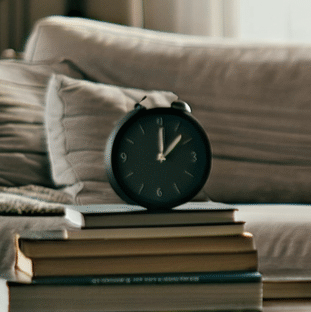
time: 12:07
